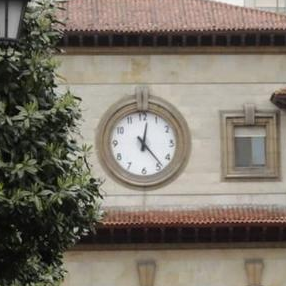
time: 12:23
